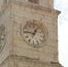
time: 12:46
